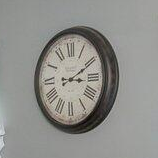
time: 3:10
